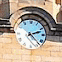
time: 2:23
